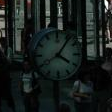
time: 4:06
